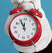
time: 11:54
